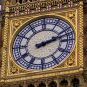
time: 2:12
